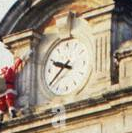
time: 9:39
